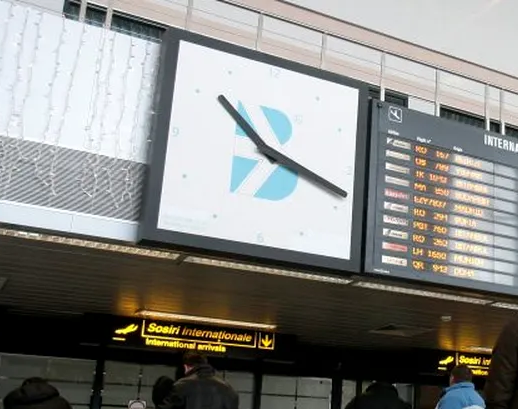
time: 10:18
